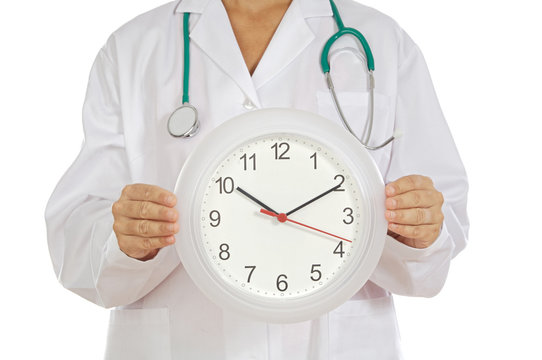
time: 10:10
